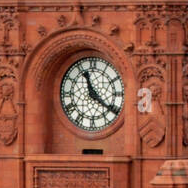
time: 11:21
